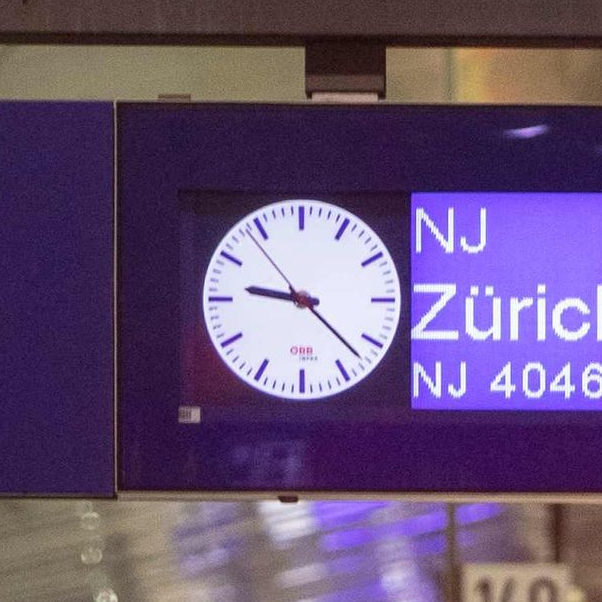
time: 9:22
